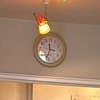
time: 11:33
